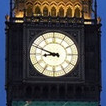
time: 8:48
